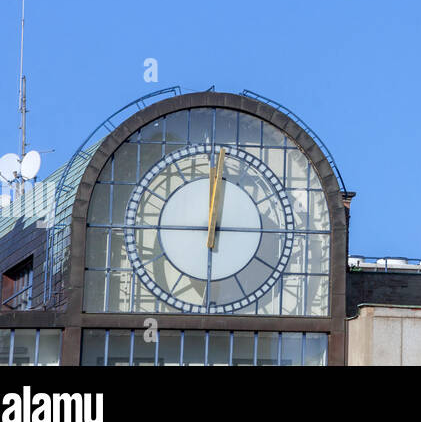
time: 12:00
